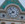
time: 7:53
